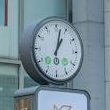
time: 1:02
